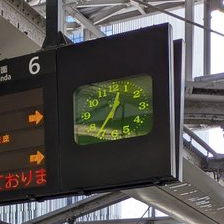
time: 12:36
